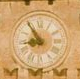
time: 8:54
